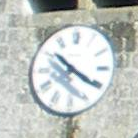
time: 10:20
